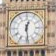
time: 12:28
